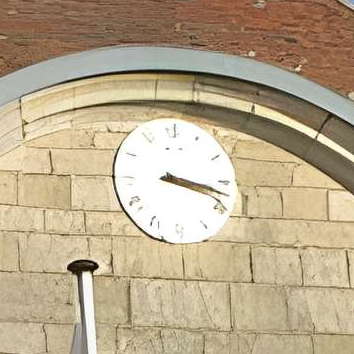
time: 3:17
